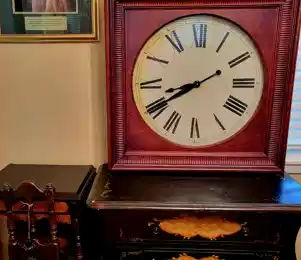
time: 8:40
